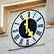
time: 4:59
